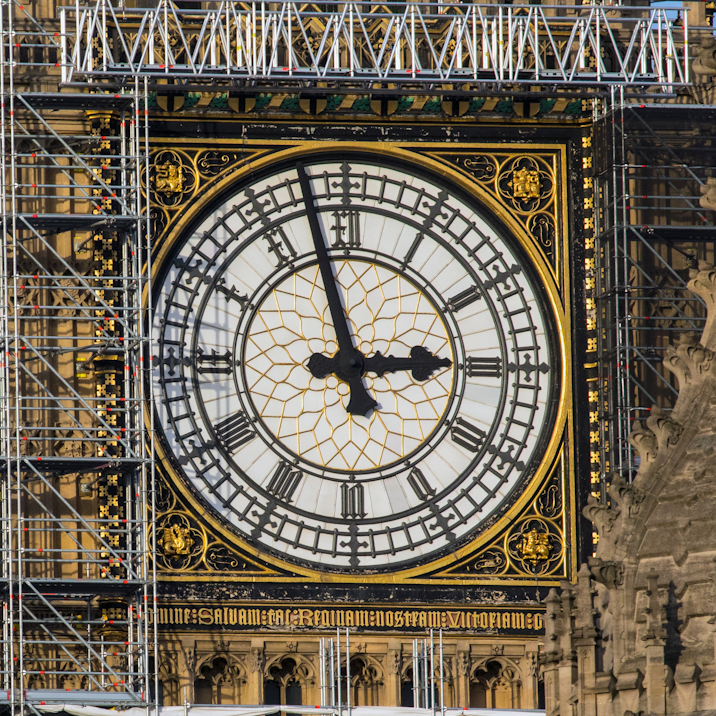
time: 2:57
